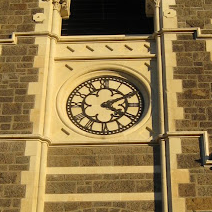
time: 4:10
